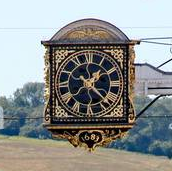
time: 1:22
